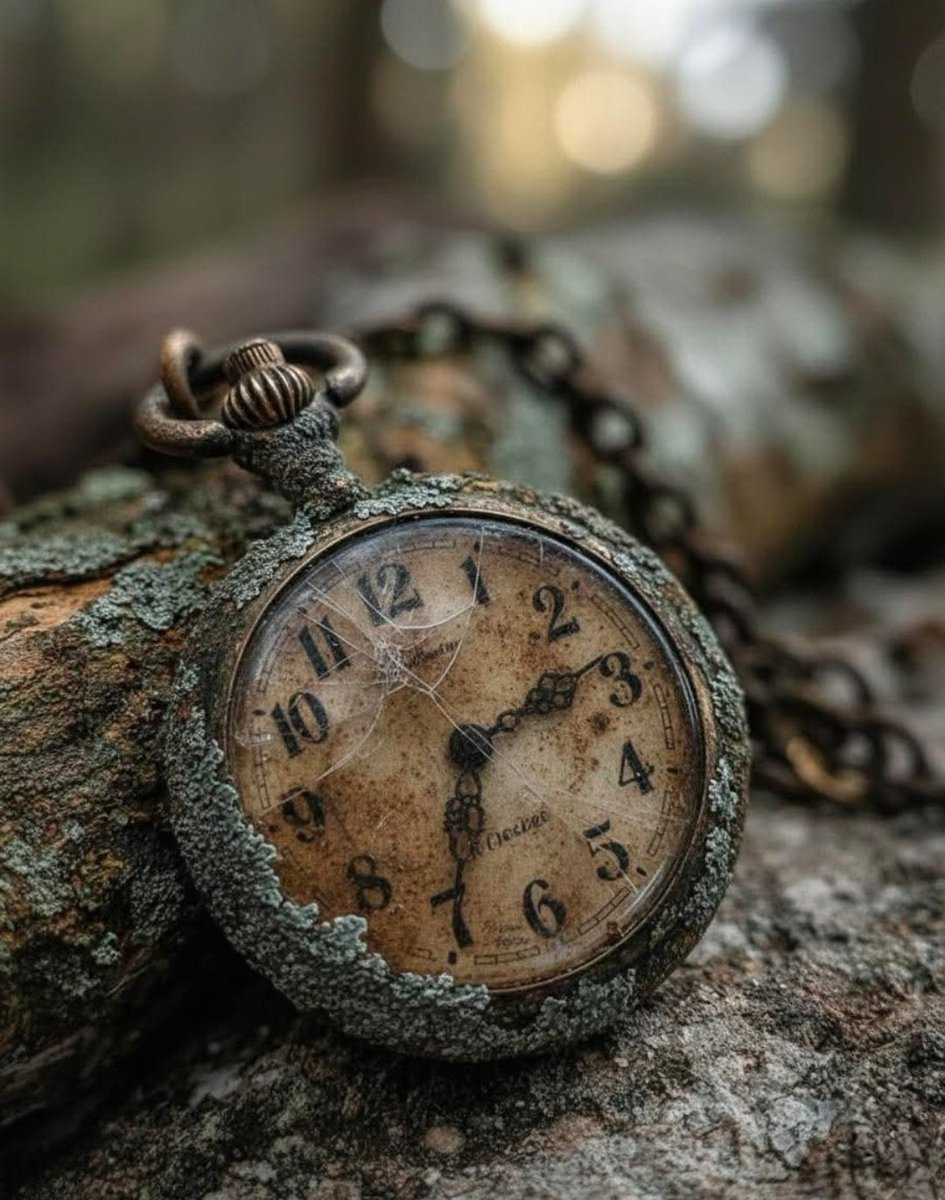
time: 1:30
